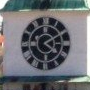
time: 4:09
